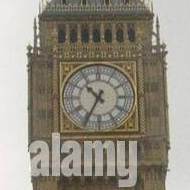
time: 10:34
